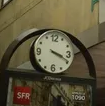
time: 3:18
